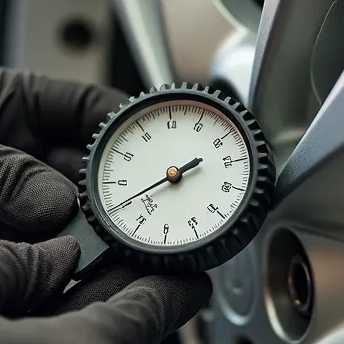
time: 2:40
